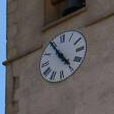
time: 4:54
